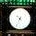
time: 10:34
